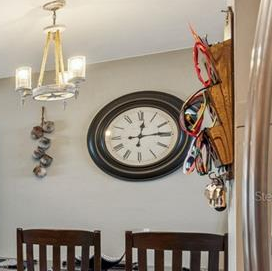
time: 12:14
